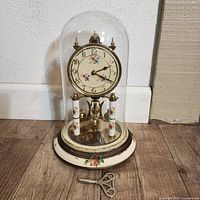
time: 2:18
